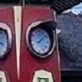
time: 8:07
